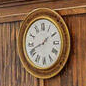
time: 1:41
